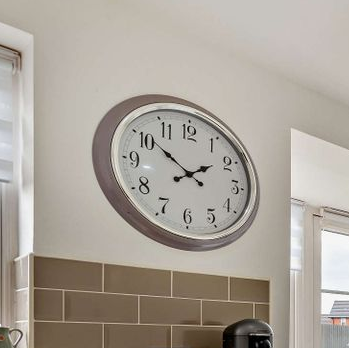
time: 1:50
